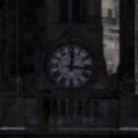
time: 12:16
